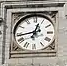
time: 12:43
